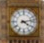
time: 4:12
